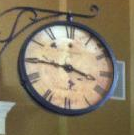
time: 3:45
